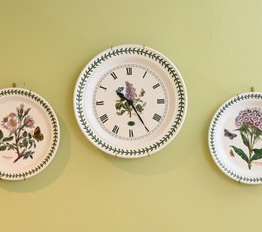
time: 10:24
